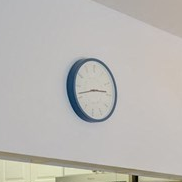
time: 2:41
